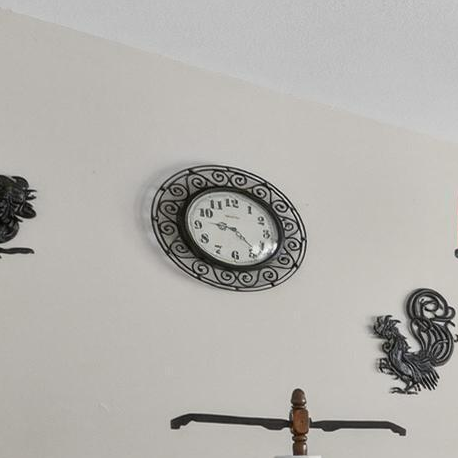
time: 9:23
